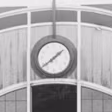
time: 1:38
